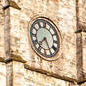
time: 7:25
